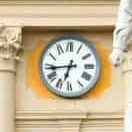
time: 6:43
